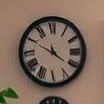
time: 11:49
